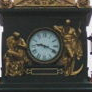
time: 9:18
